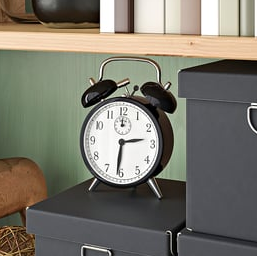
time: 2:31
